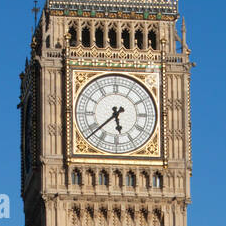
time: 5:38
